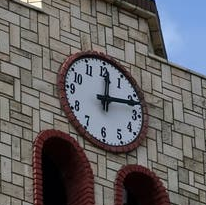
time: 12:12
